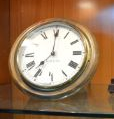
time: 7:00
